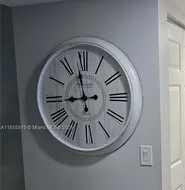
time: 11:44
